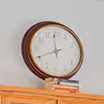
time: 11:40
